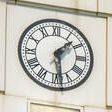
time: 1:28
